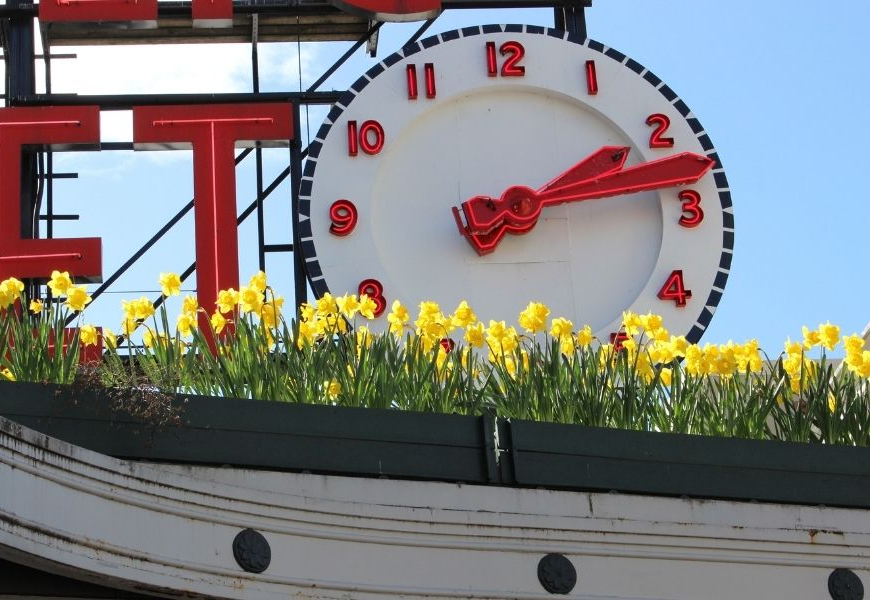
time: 2:13
